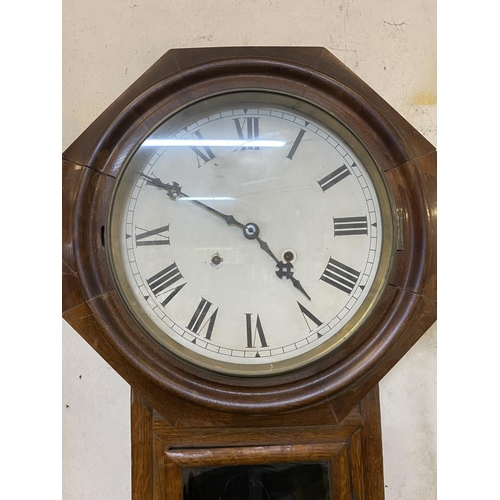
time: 4:50
